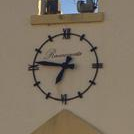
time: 6:46
